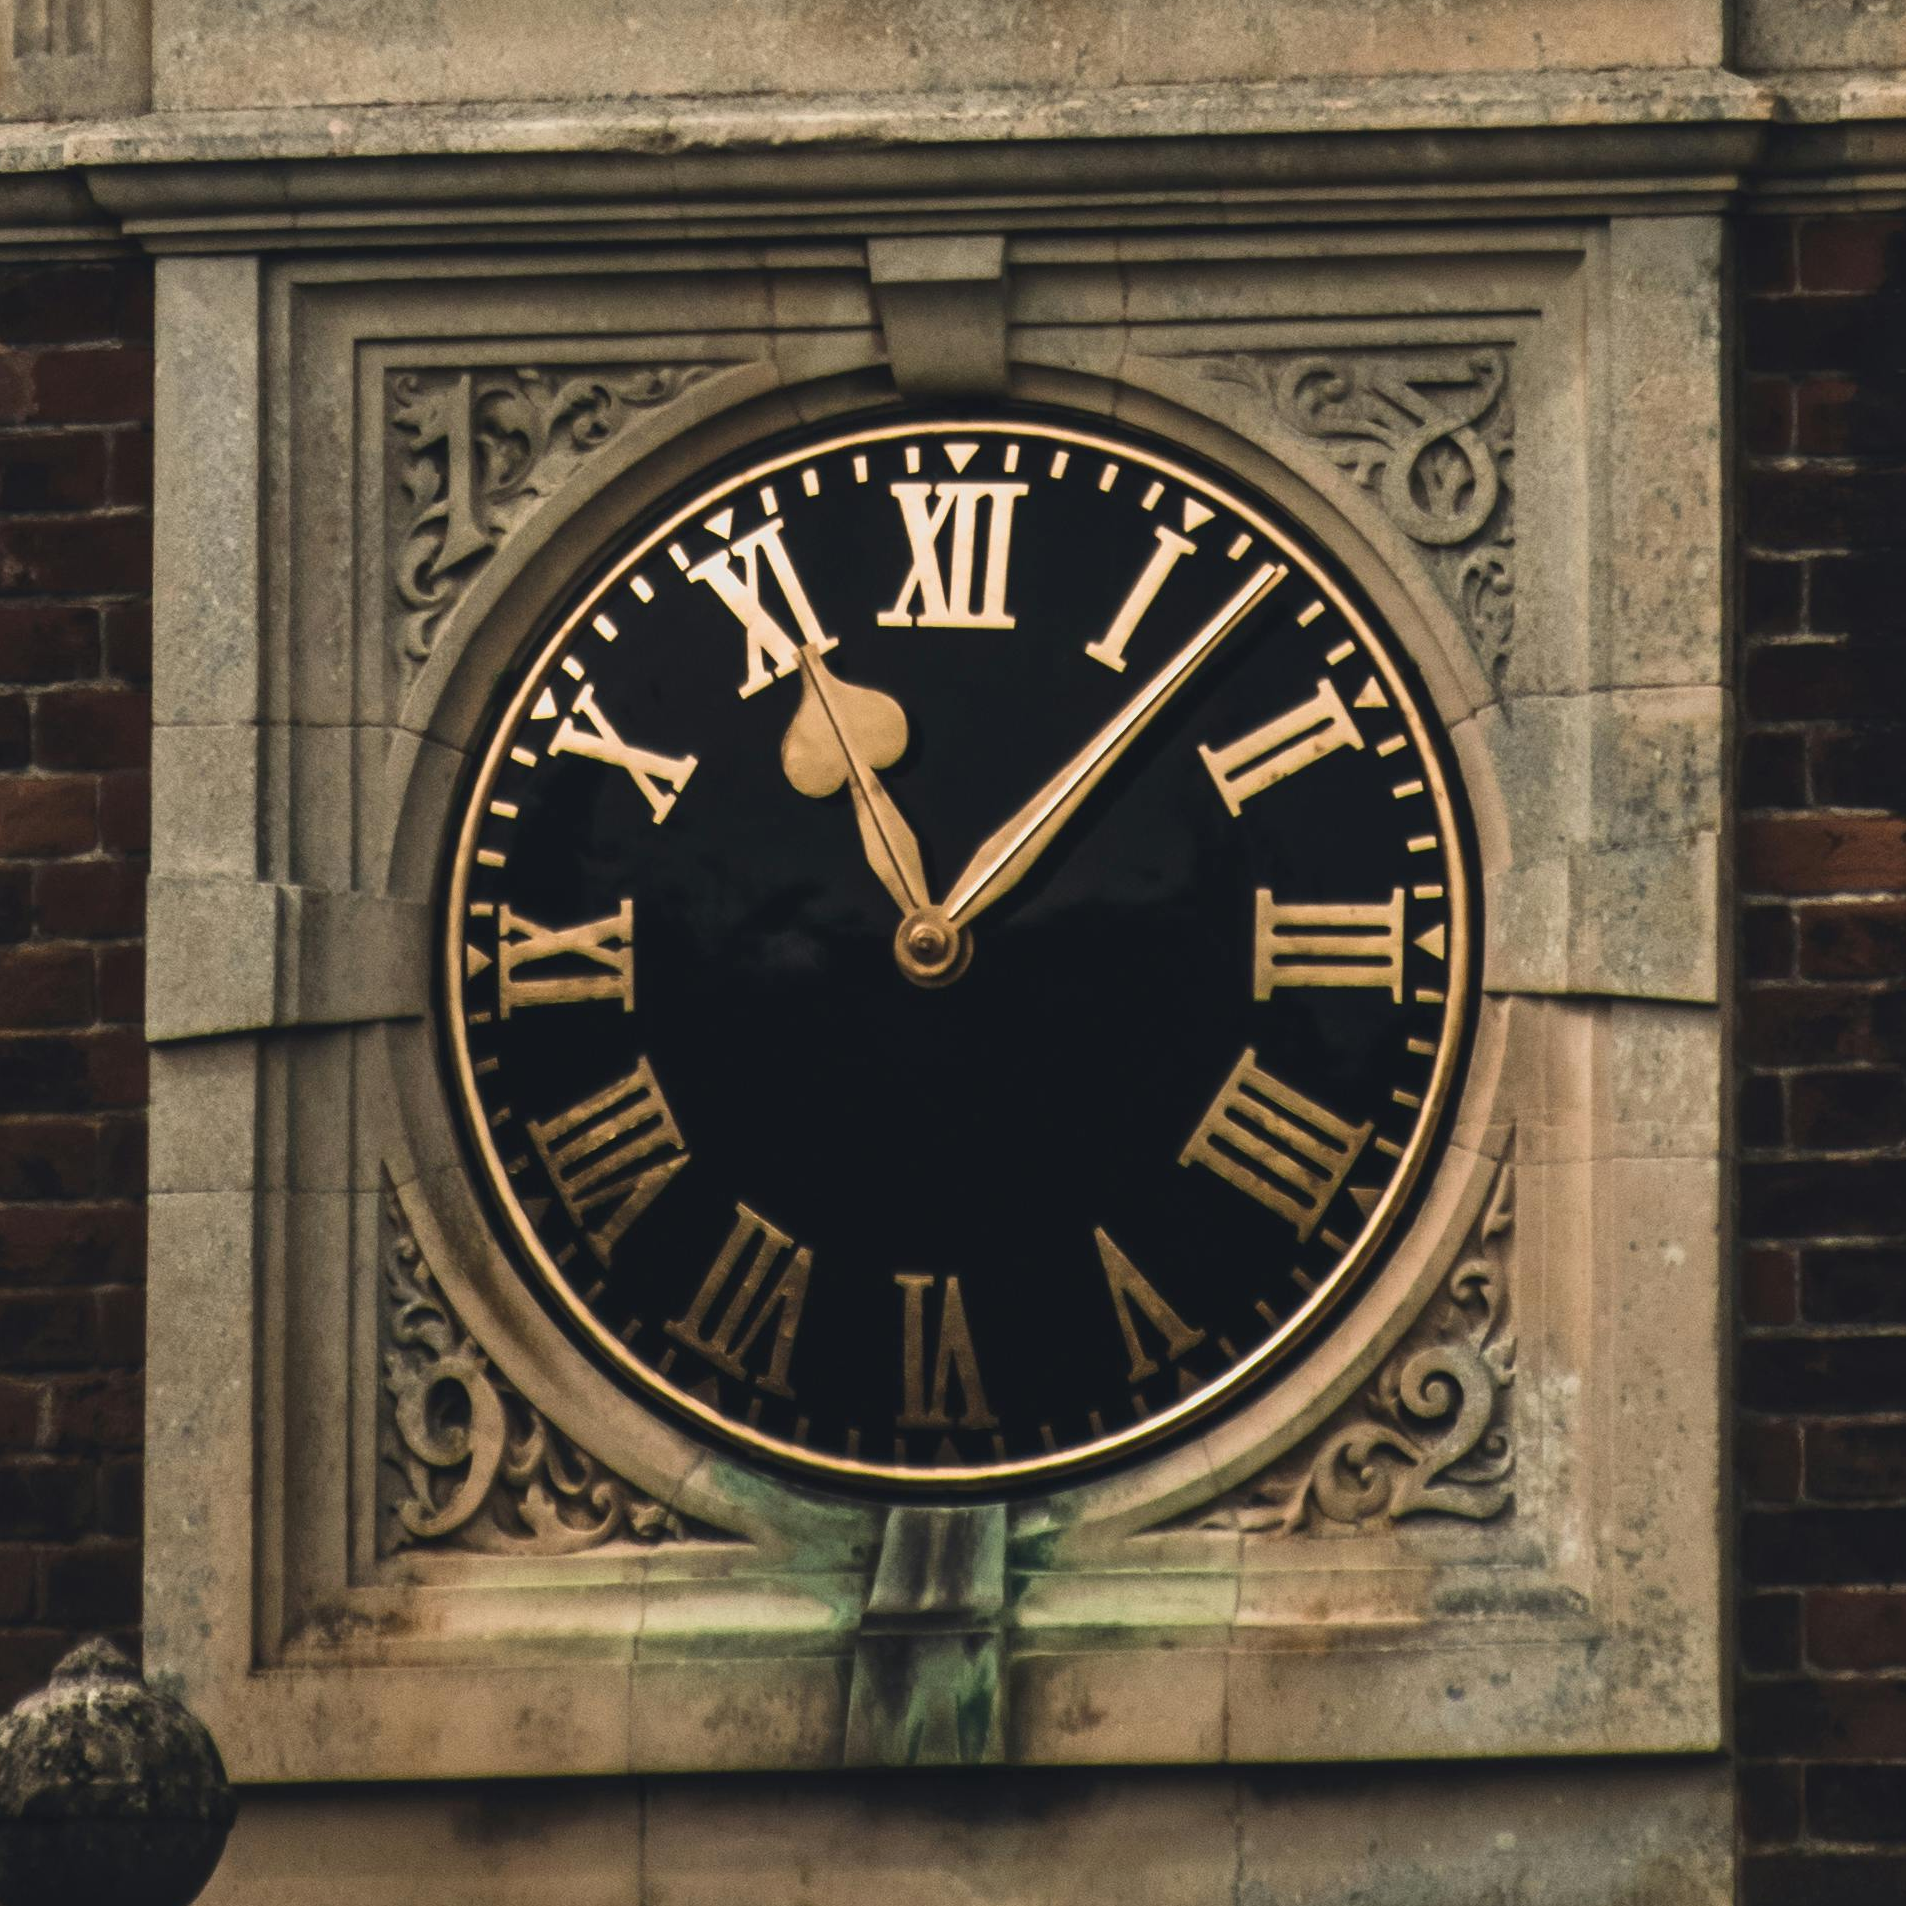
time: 11:07
